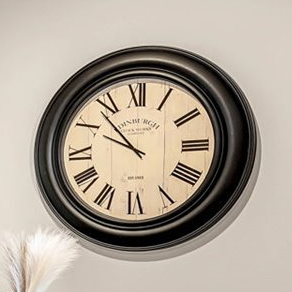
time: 9:53
